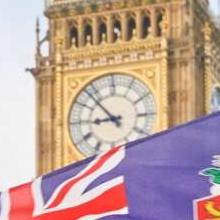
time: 8:53
